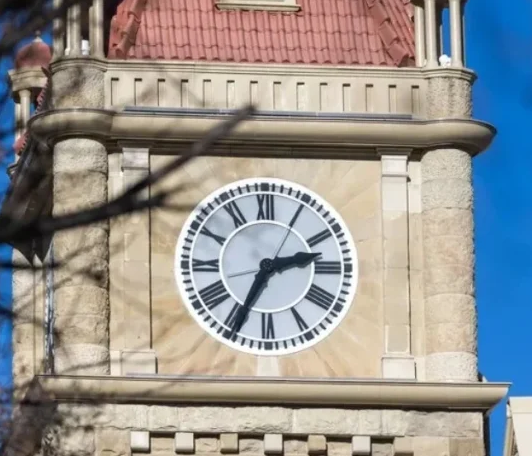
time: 2:34
